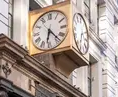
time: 6:23
